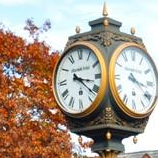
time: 3:21
